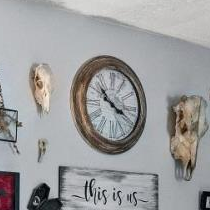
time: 3:52
